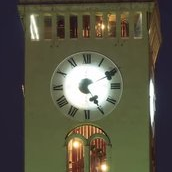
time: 4:24
